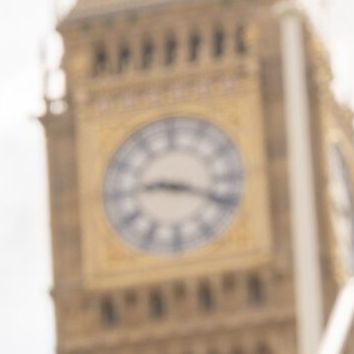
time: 9:18
